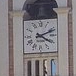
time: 4:11
